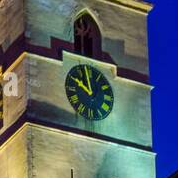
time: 9:57
